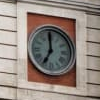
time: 6:59
